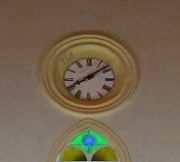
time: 1:39
